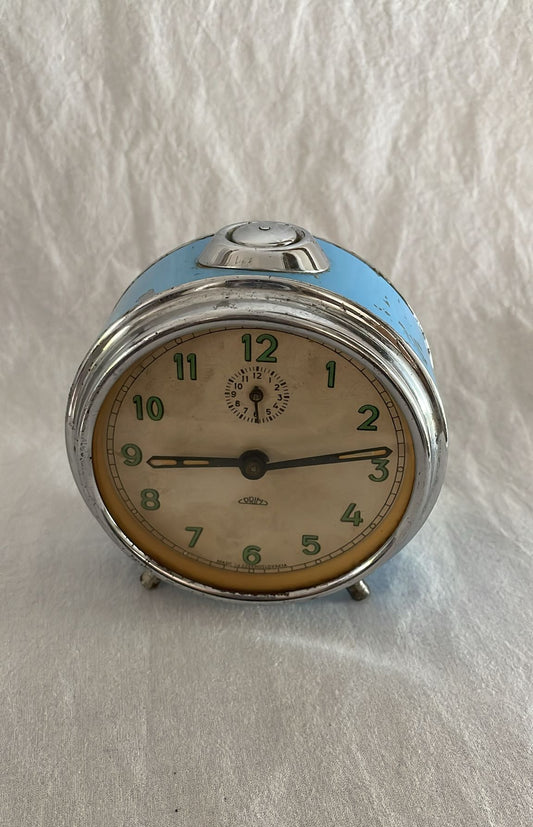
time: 9:13
